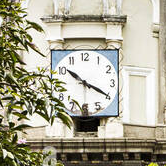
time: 10:19
